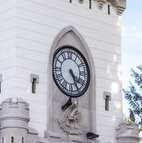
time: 4:25
